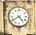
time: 4:40
